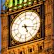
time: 5:17
